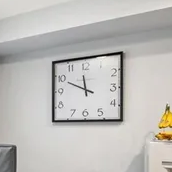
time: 11:49
